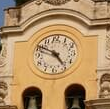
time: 4:49
